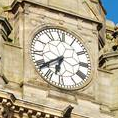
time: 6:38
